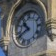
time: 10:41
